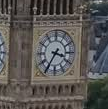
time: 3:35
